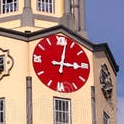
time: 3:02
